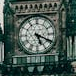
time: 5:19
